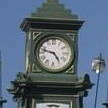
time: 4:47
